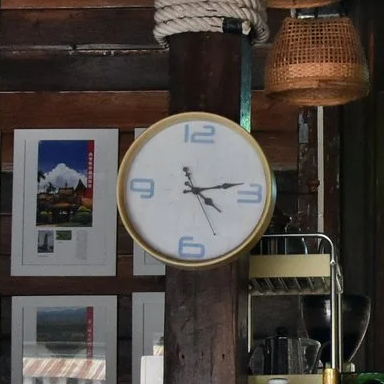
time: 4:13
